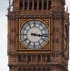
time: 3:16
